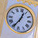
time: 12:34
